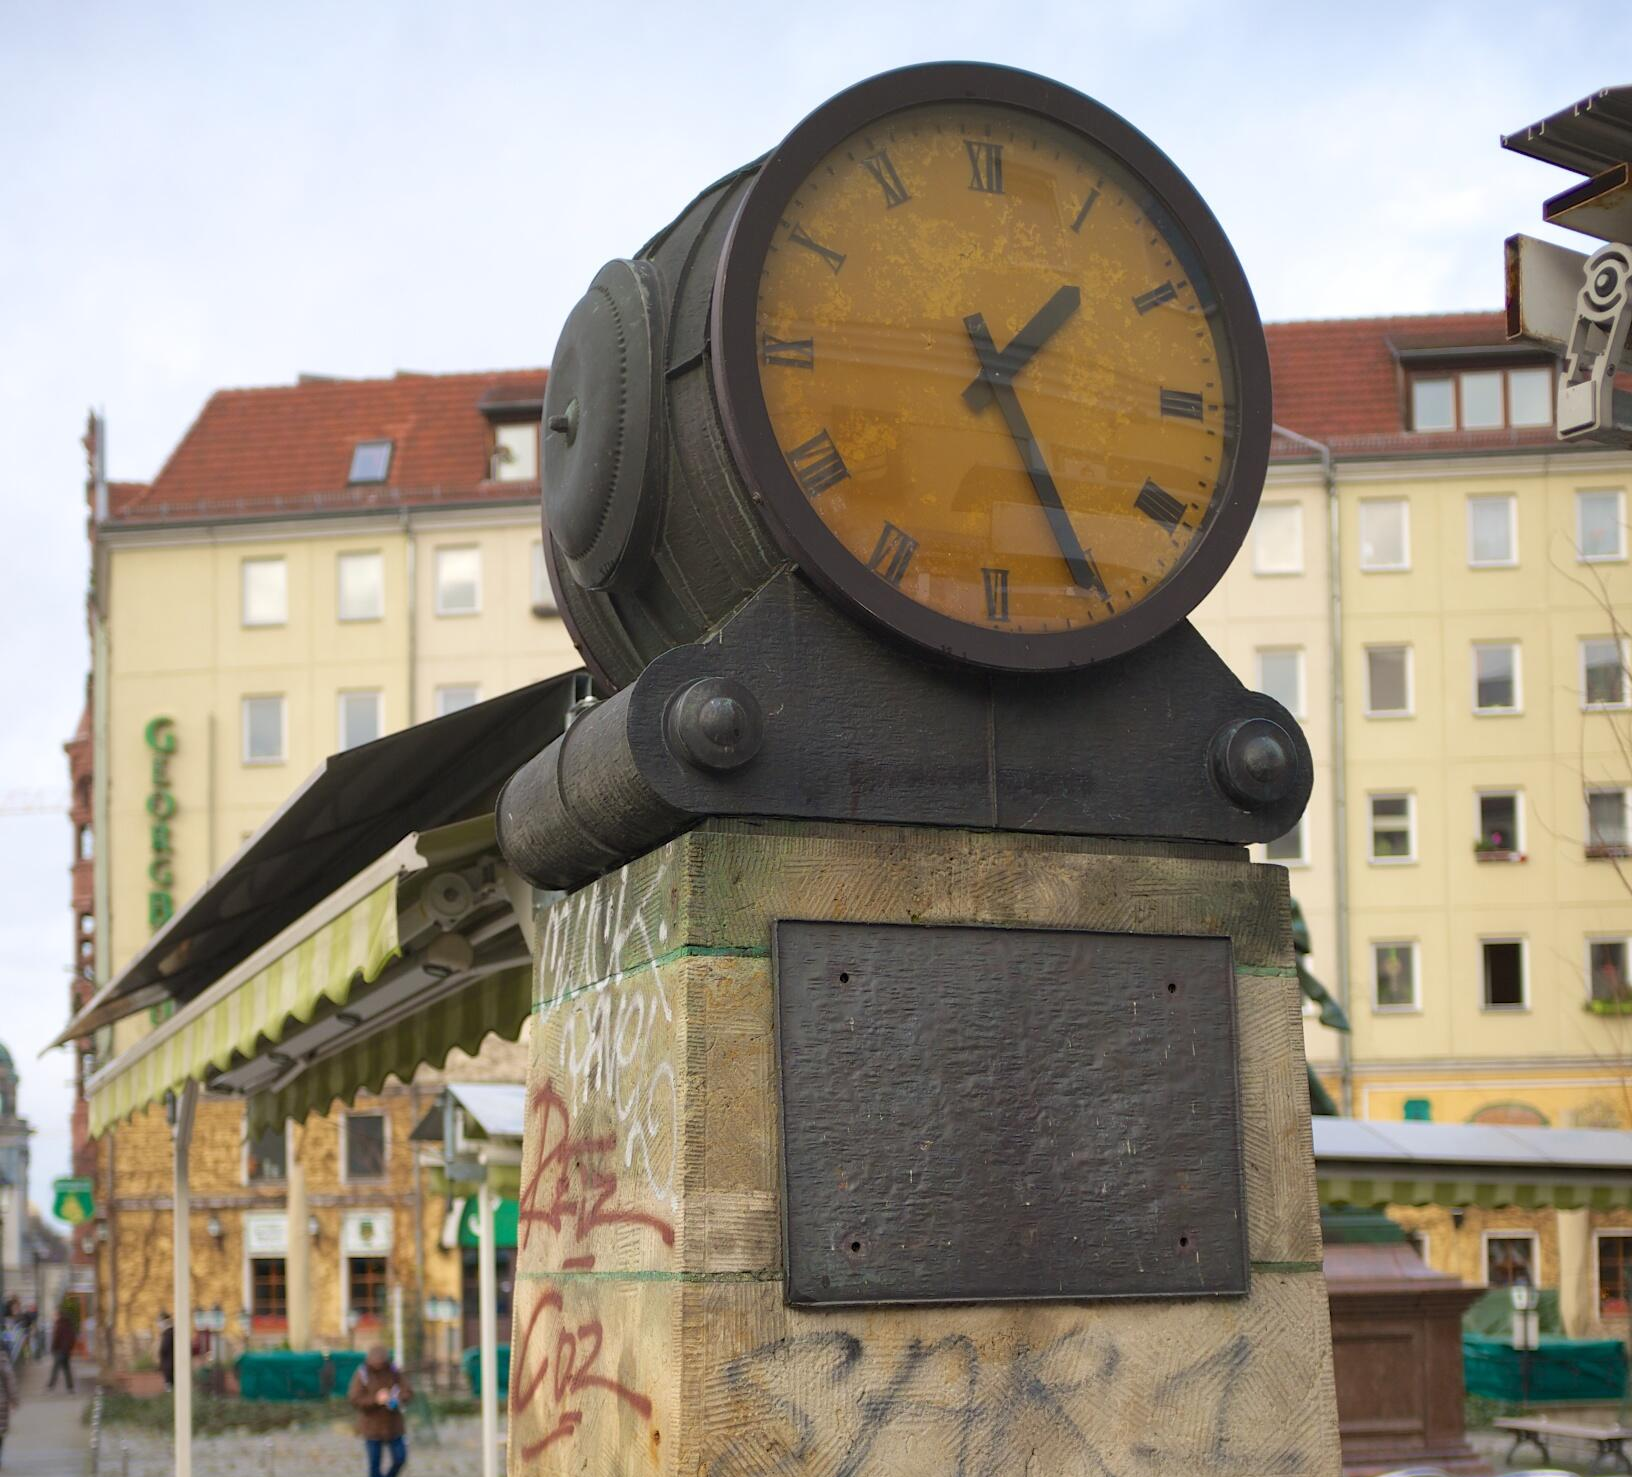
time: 1:25
